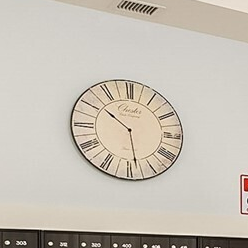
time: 10:28
